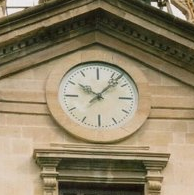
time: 10:07
